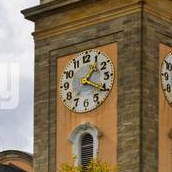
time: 1:20
